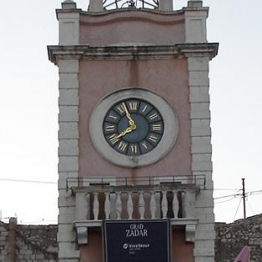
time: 7:56
